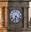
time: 6:21
